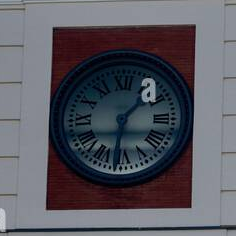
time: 1:31
